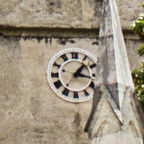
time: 1:16
